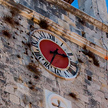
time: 2:34
